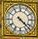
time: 4:22
